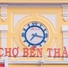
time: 7:17
